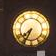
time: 7:34
